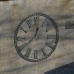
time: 12:38
